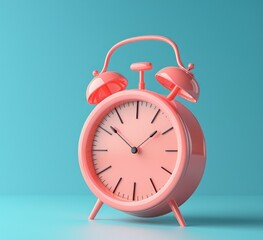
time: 1:51
